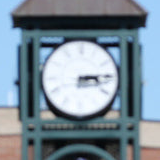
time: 3:14
